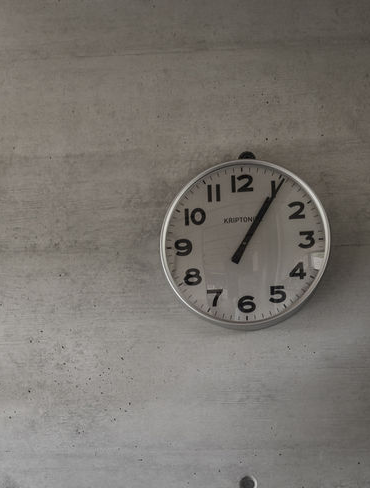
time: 1:05
